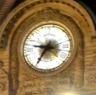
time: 8:35
